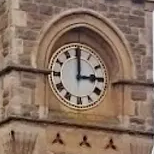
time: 2:59
